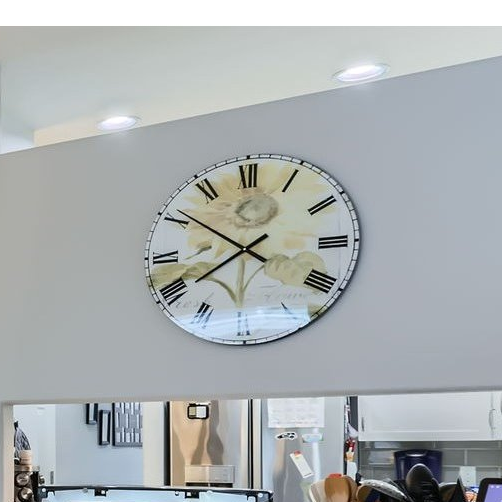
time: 7:50
